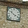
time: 10:20
